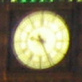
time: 9:25
